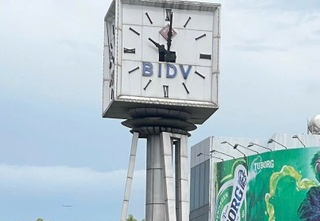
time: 10:00
